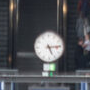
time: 5:14
